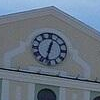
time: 12:32
